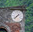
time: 7:37
